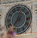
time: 12:36
